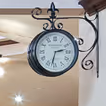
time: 2:32
